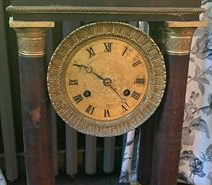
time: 10:22
